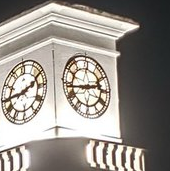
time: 2:43
